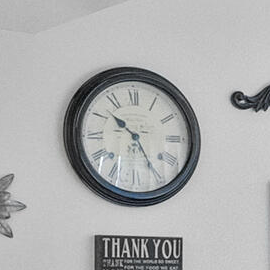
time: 10:24
